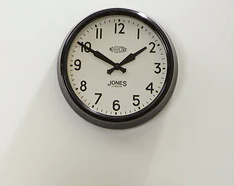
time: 1:50
